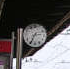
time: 2:34
